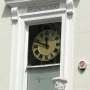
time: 11:48
